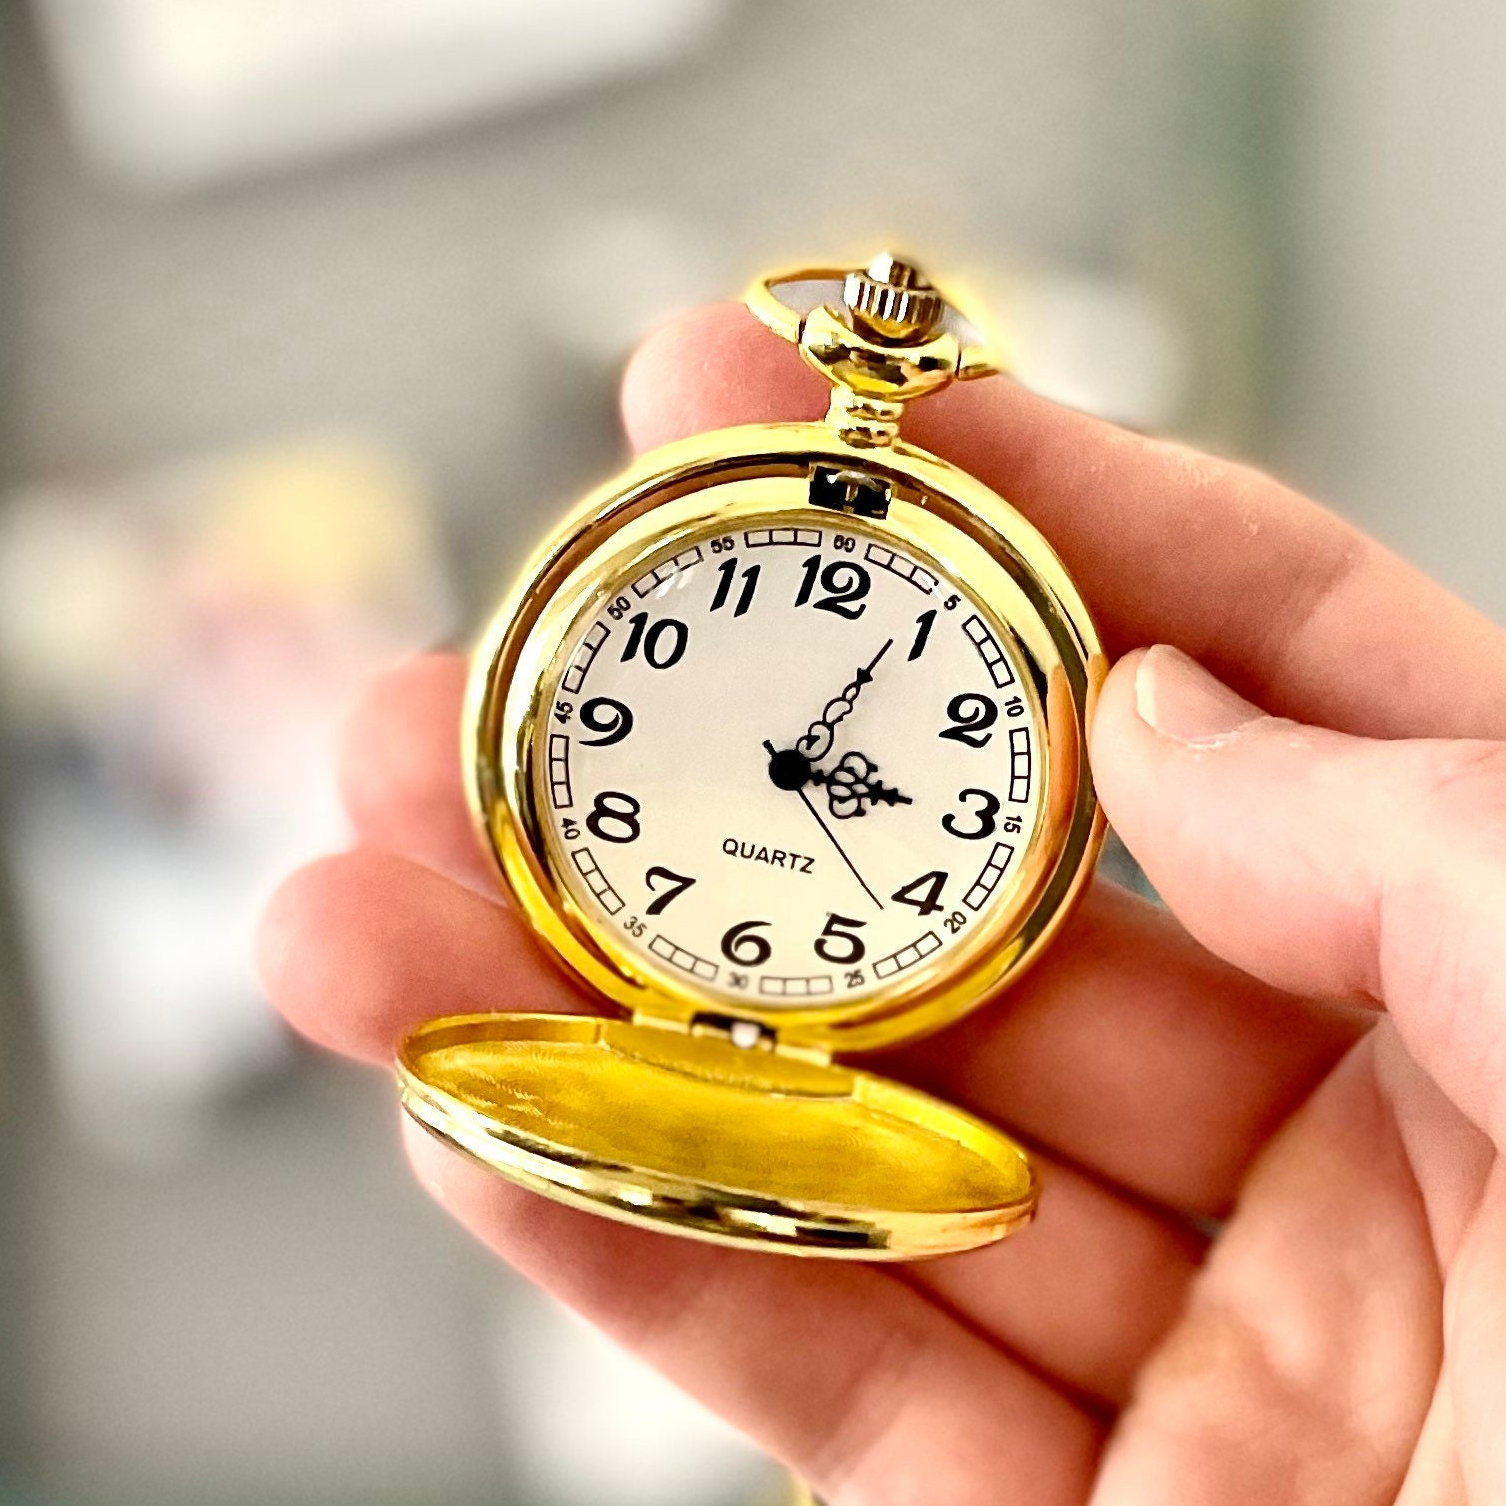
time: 3:04
